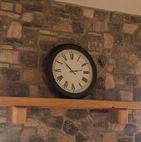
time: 2:52
